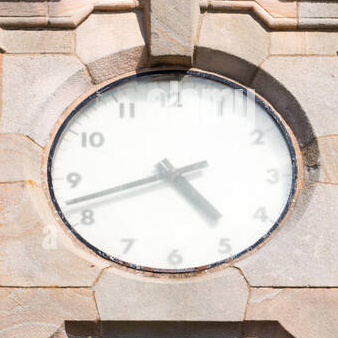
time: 4:42
